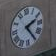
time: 2:24
